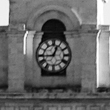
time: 12:44
